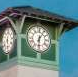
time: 6:05
